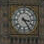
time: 3:24
